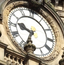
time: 9:33
